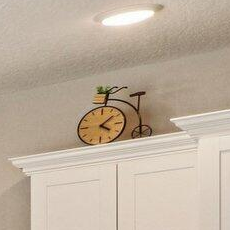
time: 4:07
